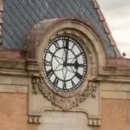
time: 3:01
